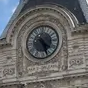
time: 4:26
